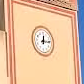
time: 12:14
